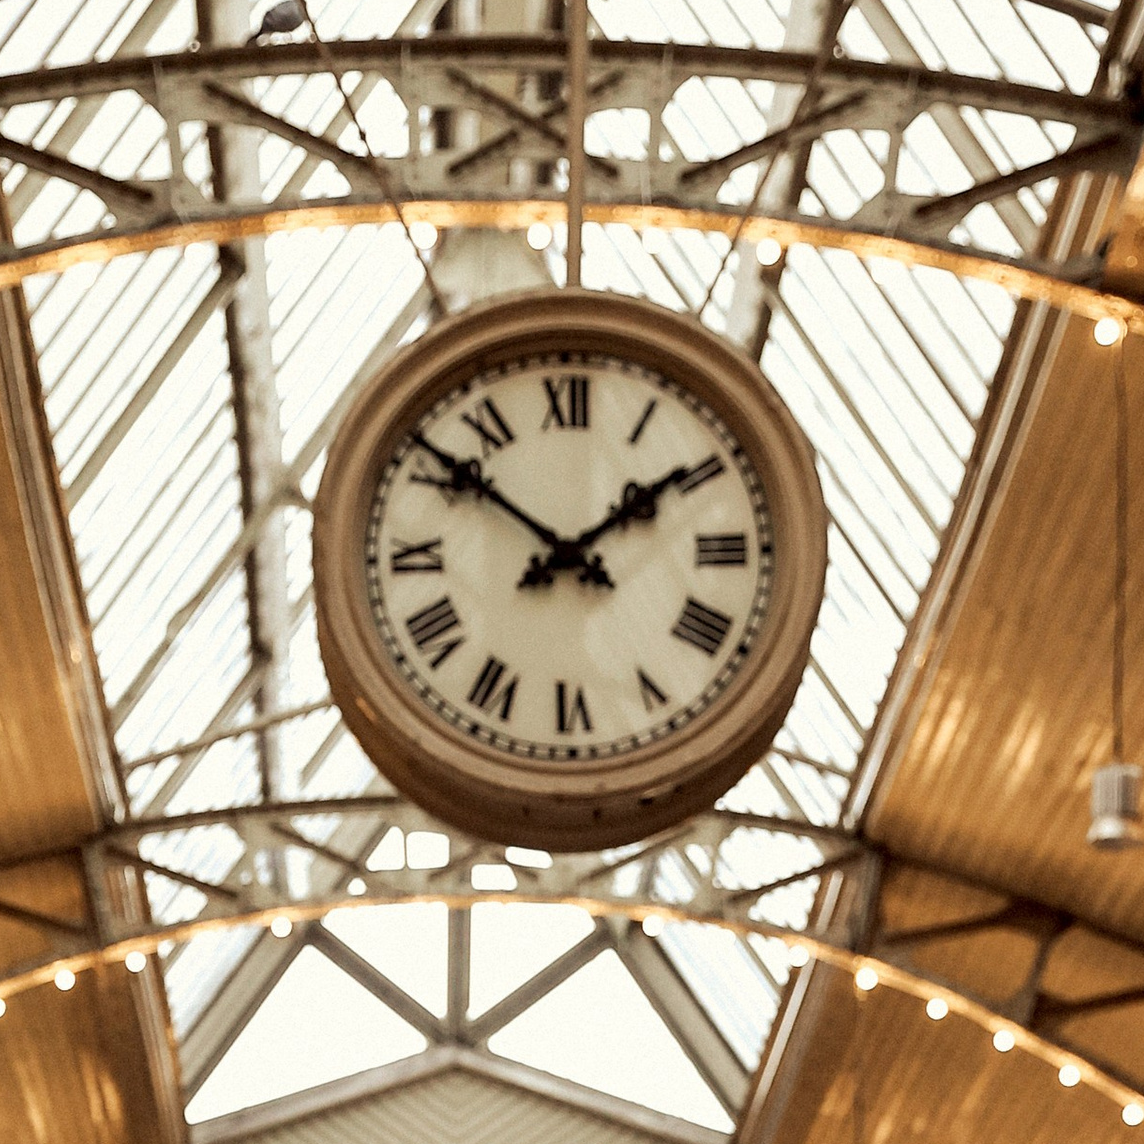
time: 1:51
